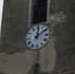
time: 12:09
